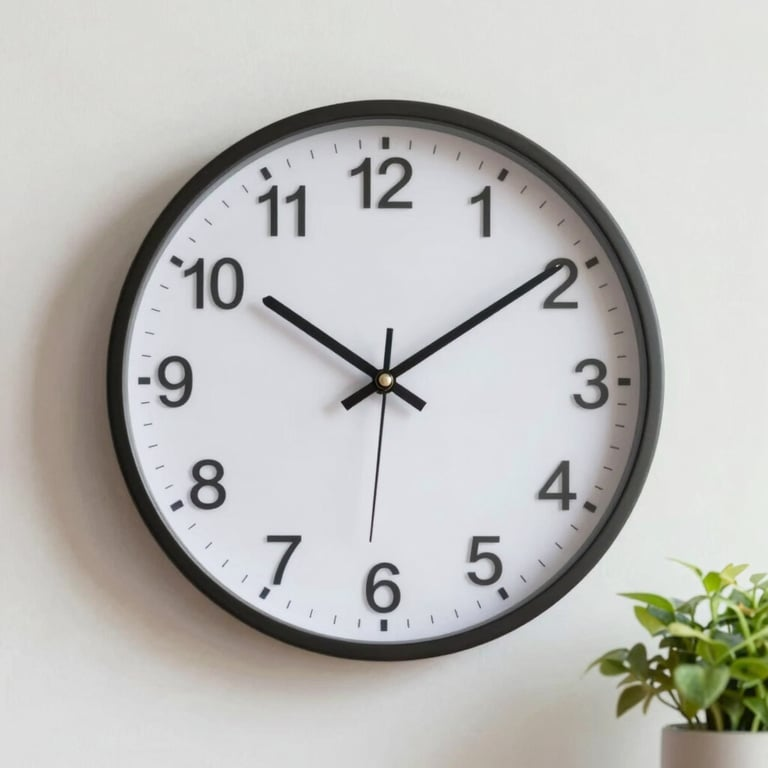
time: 10:09
